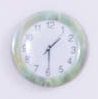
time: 1:29
